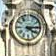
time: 4:14
